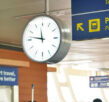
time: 11:46
